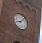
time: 8:07
